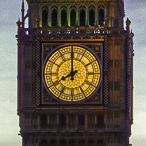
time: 7:59
